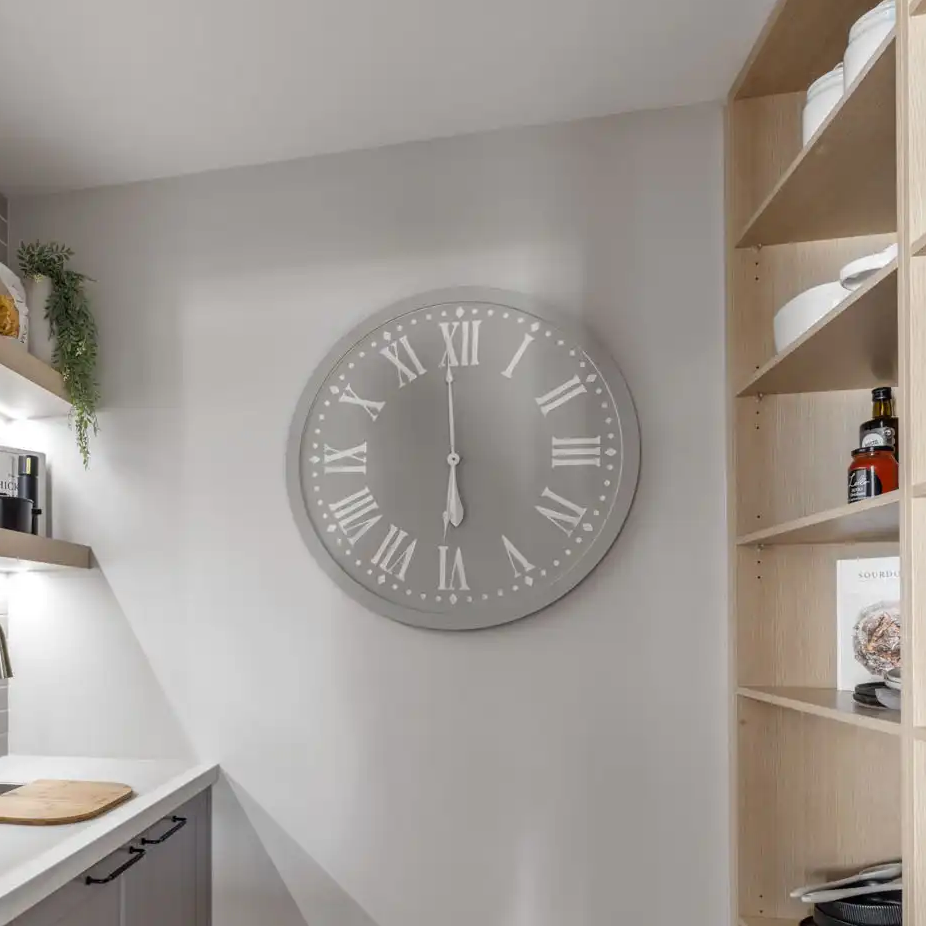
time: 5:59
